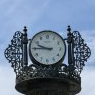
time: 9:45
